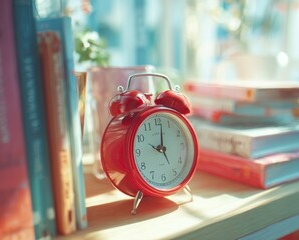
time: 9:01
